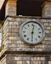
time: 12:29
